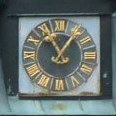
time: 11:06
